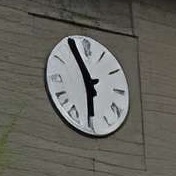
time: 5:55
